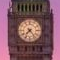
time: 7:23
